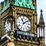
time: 11:09
